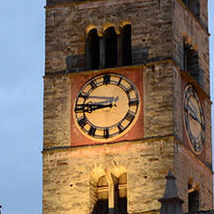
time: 8:46
